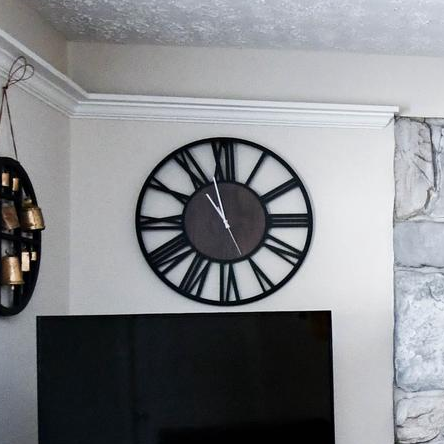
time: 10:58
